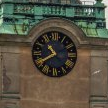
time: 10:40
